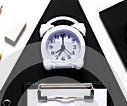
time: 7:00
